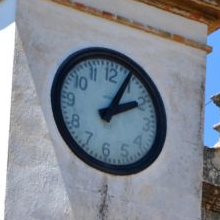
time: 2:04
